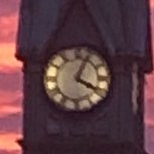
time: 4:04
